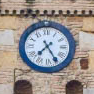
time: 7:25
